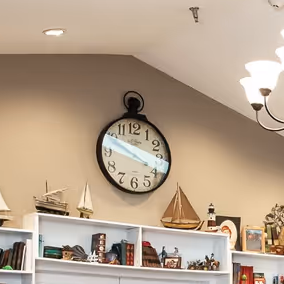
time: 3:48
